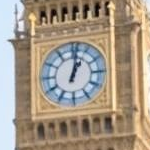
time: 1:02
